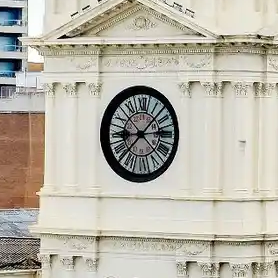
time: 9:07
